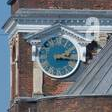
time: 2:15
